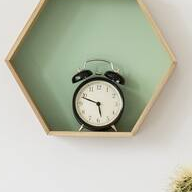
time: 5:48
